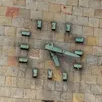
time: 5:16
